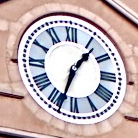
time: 1:33
